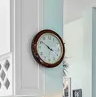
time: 3:51
